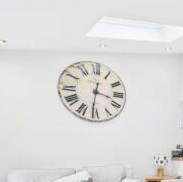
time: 3:31
